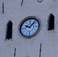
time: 10:07
